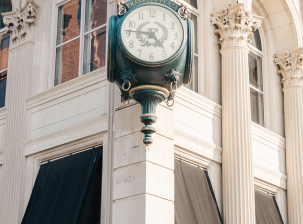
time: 4:45
